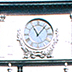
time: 11:06
